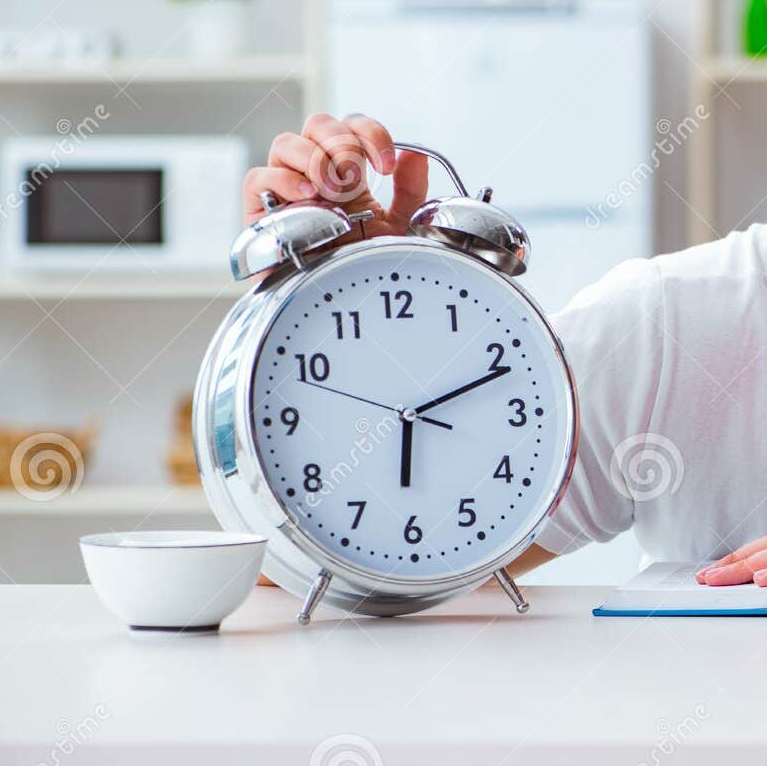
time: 6:11
